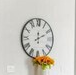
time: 12:10
